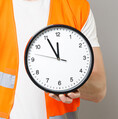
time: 11:55
